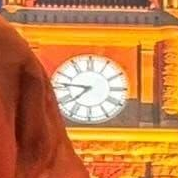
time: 7:46
